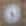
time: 4:31
